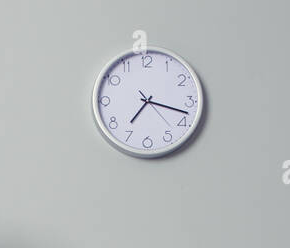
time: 7:17
